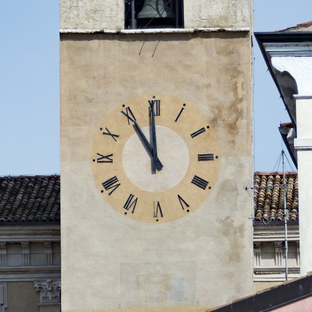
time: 10:59
